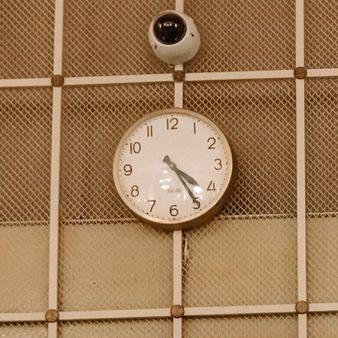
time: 4:24
